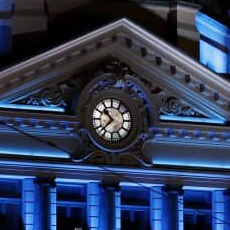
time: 10:37
